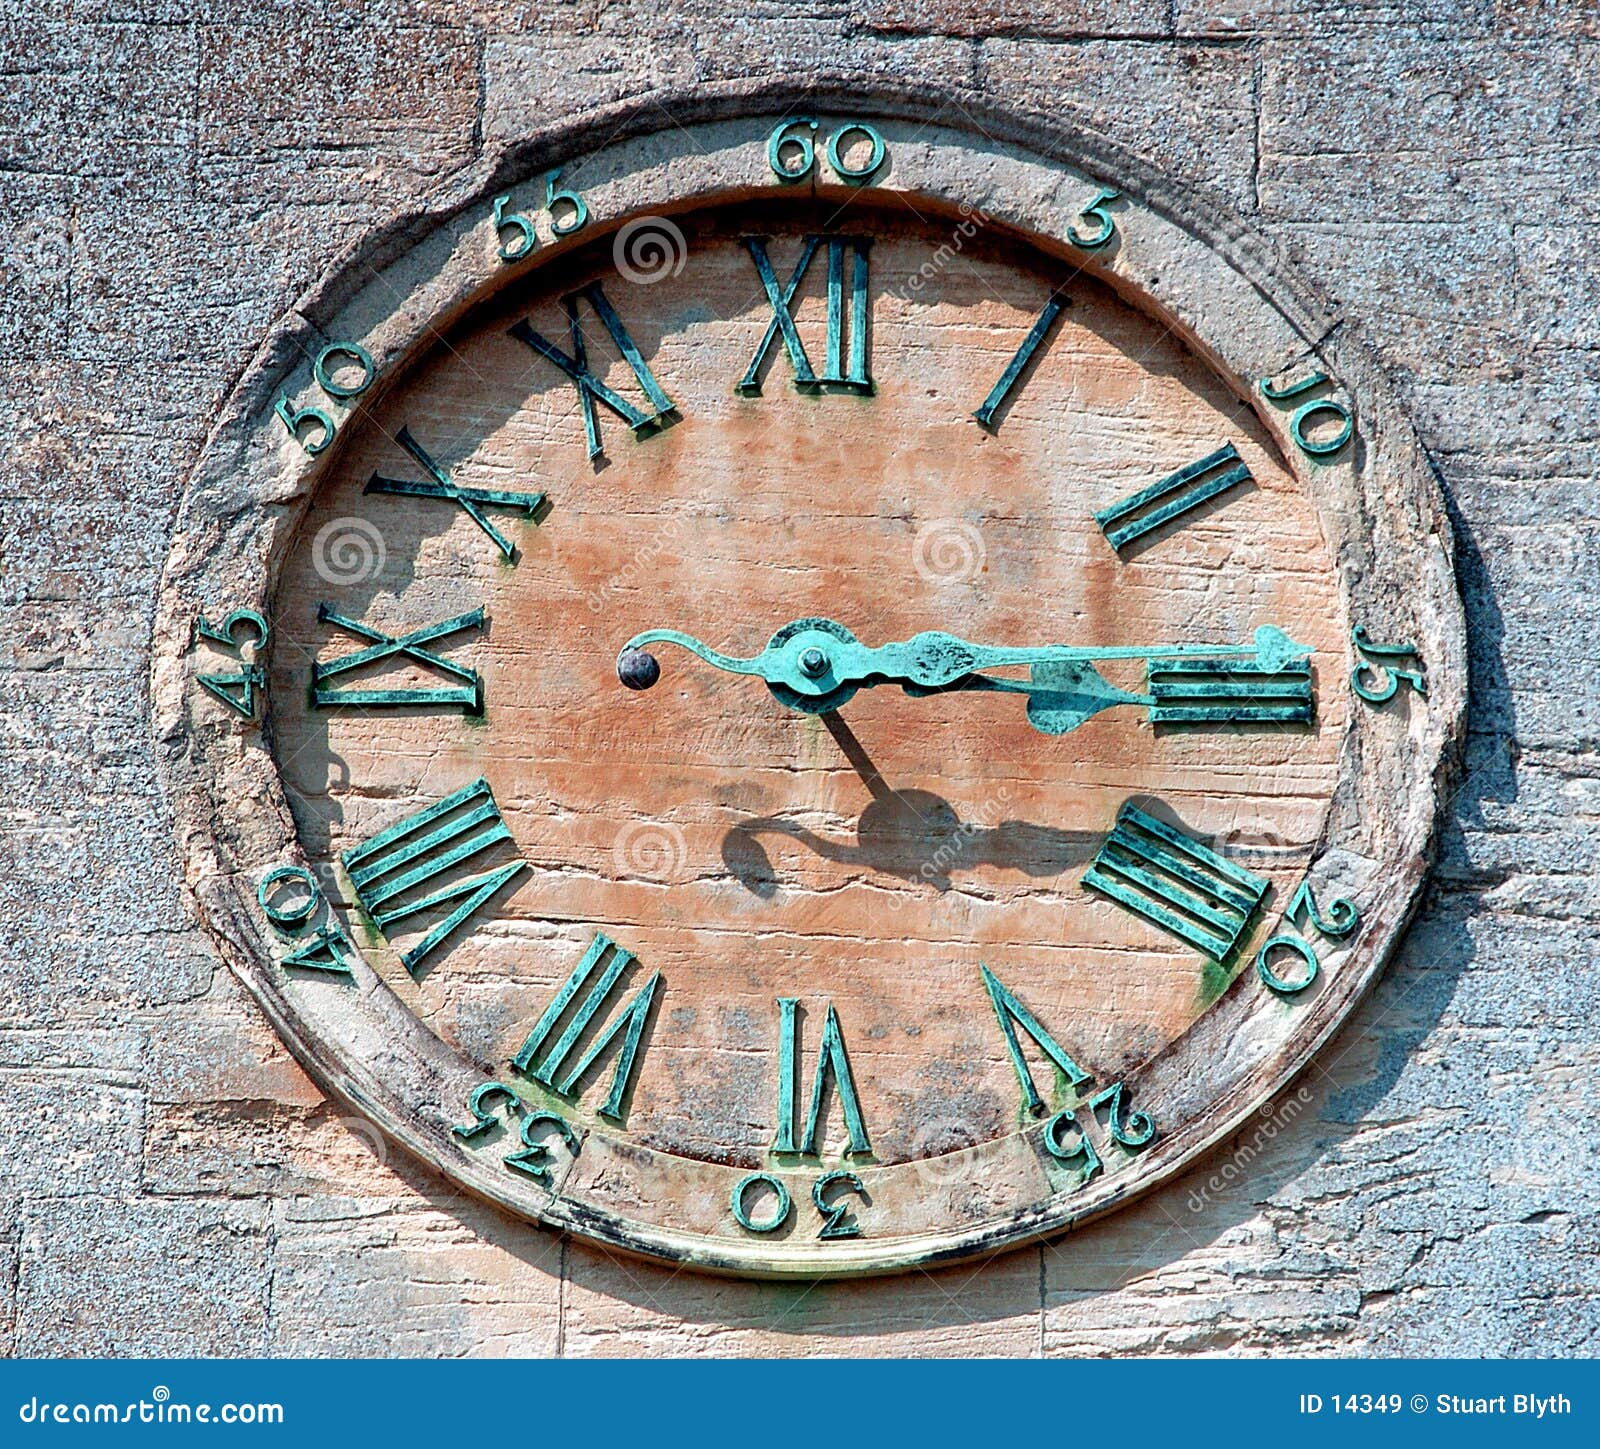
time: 4:14
